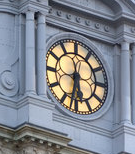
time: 5:31
